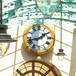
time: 1:42
